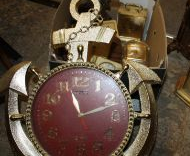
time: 11:11
